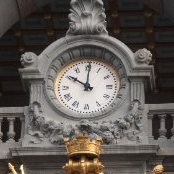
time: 10:00
